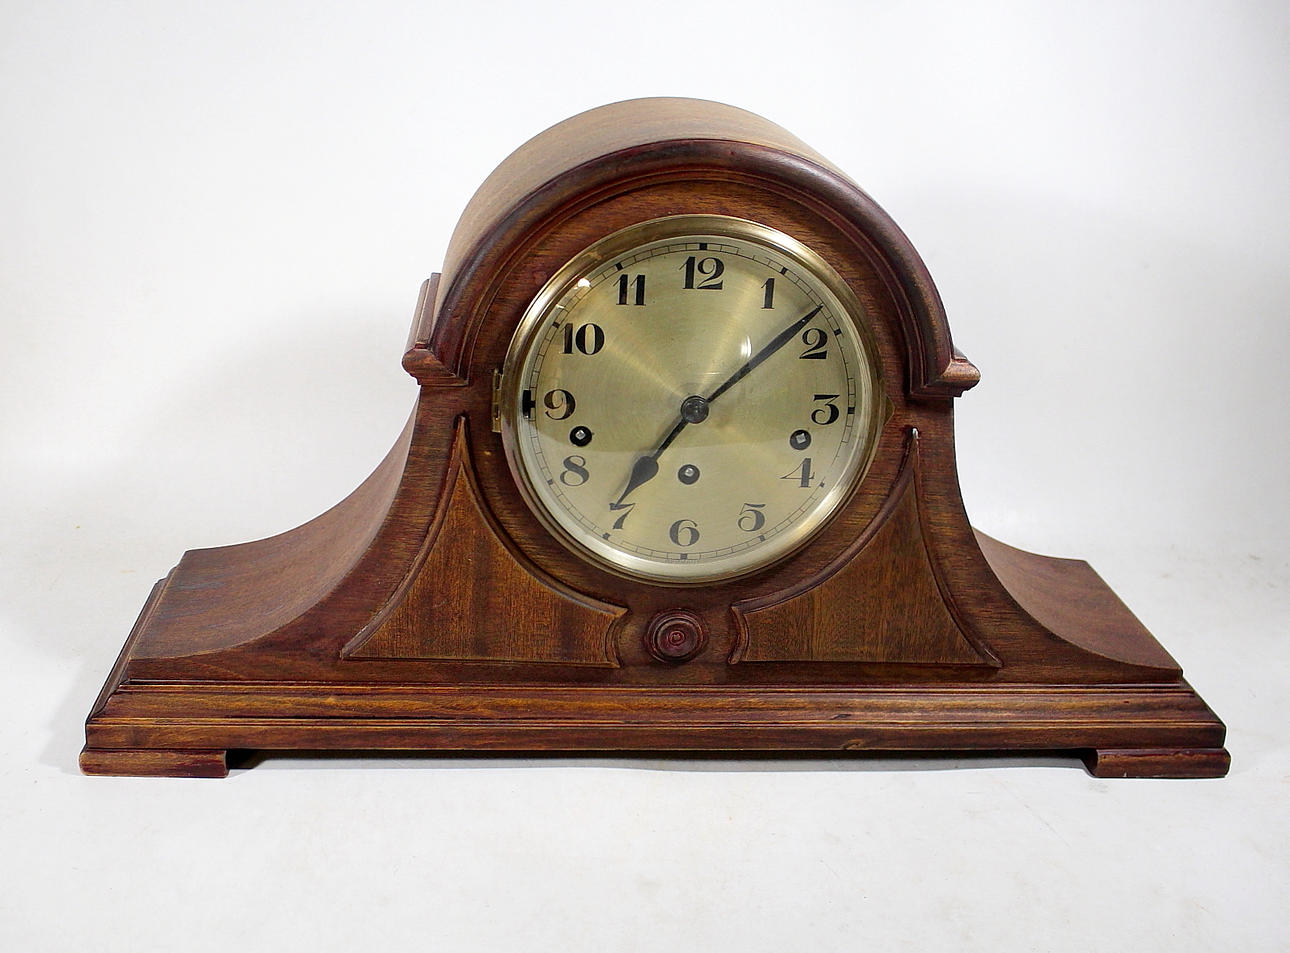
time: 7:08
